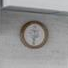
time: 11:32
